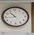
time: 10:44
